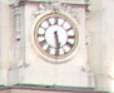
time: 5:29
